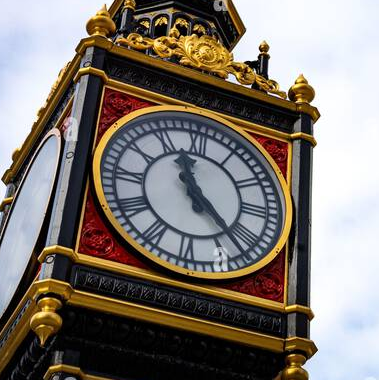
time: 11:22
